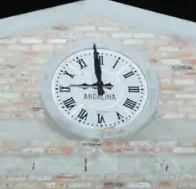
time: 8:59
